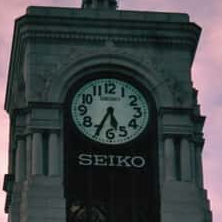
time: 5:34
